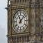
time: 11:07
